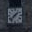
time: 1:37
